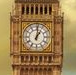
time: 1:01
